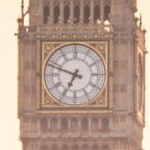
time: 6:48
